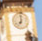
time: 7:00
